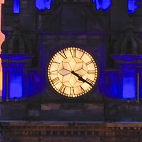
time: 4:20
